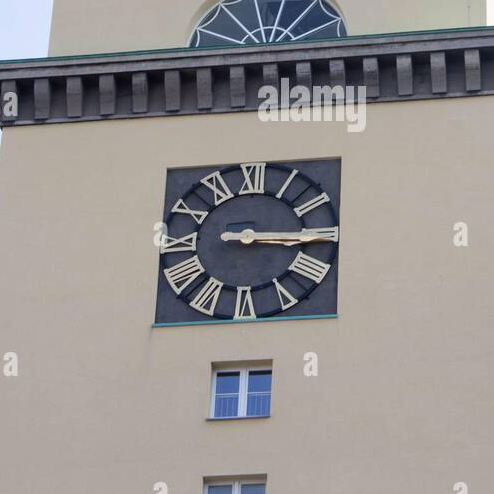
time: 3:15
